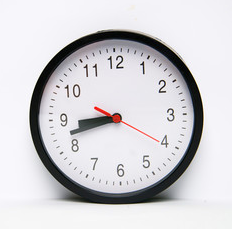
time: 8:42
